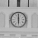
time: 6:00
